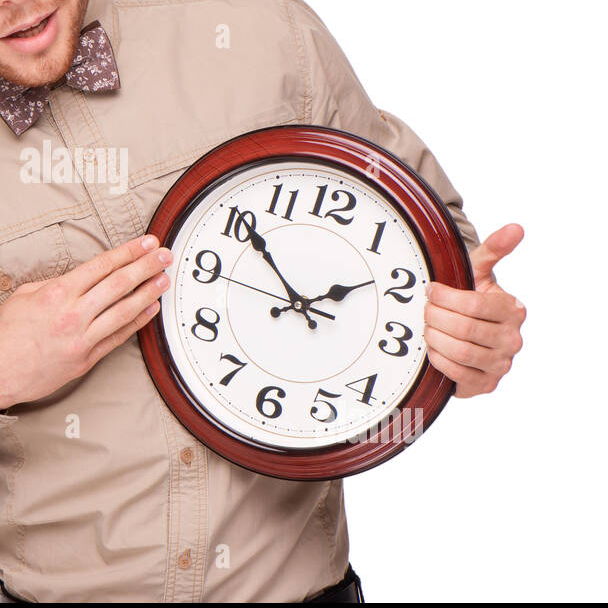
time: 1:50
